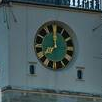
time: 7:59
